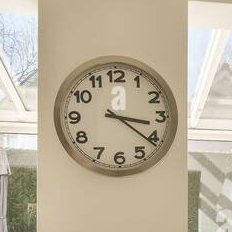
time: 3:21
